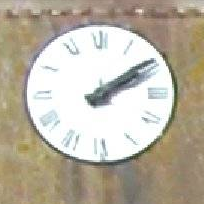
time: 2:09
